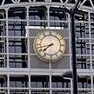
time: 7:42
